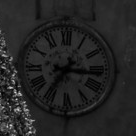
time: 7:15
